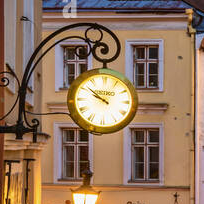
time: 9:51
